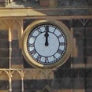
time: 12:00
